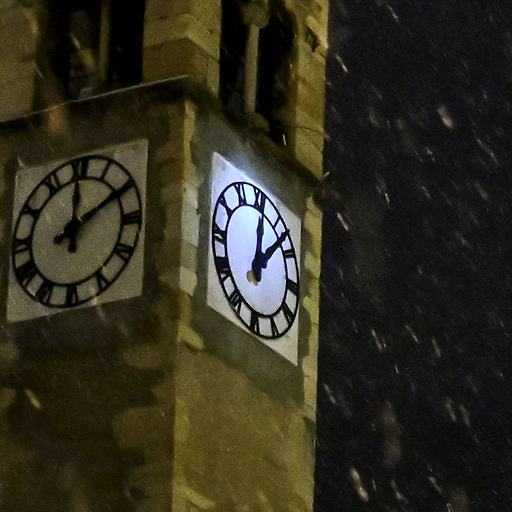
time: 12:07
